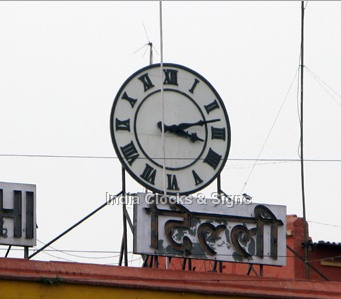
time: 3:12
